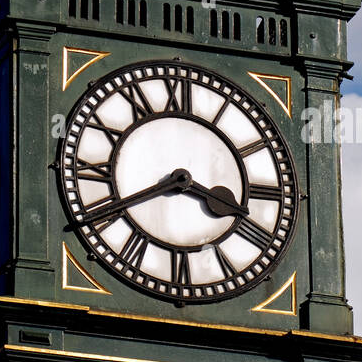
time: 3:40
